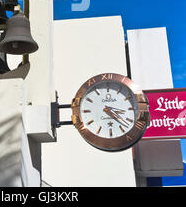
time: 3:23
